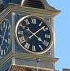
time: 4:08
